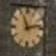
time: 11:12
